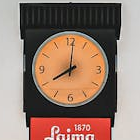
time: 8:01
